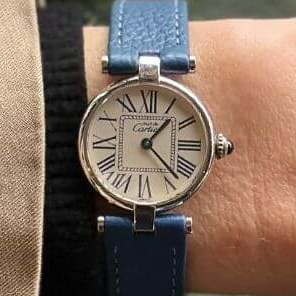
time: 1:22
